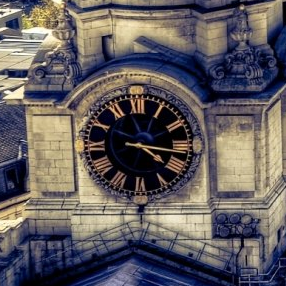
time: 4:16
